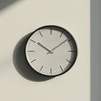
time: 10:08
